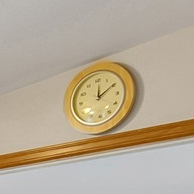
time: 12:09
